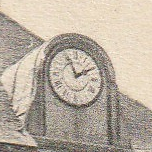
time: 1:56
